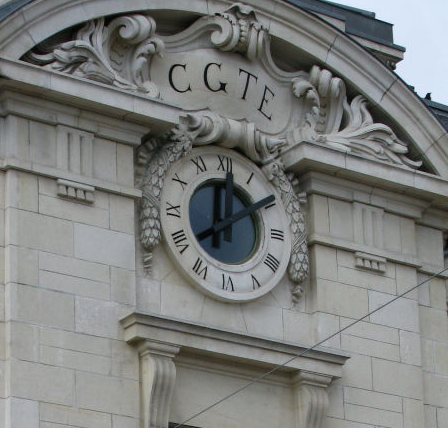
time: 12:09
